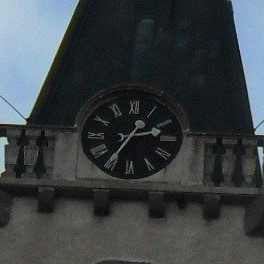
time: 2:35
